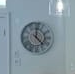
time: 12:22
